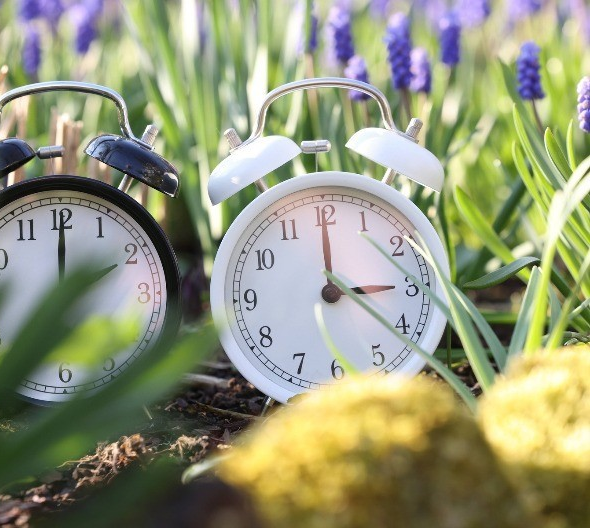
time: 3:00
